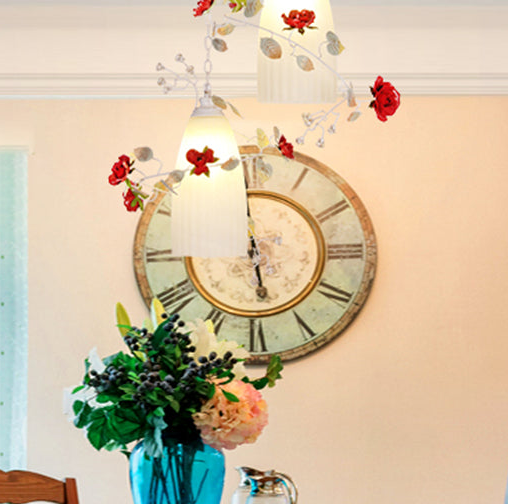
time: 5:59
